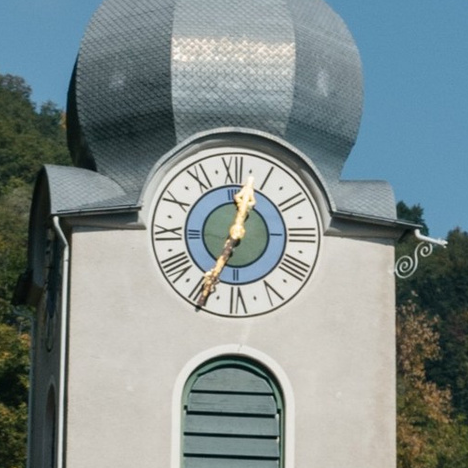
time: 12:34
